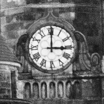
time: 3:00
